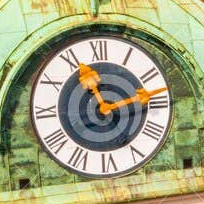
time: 11:13
